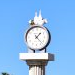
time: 1:22
